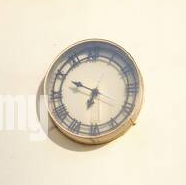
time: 6:48
